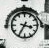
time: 3:35
